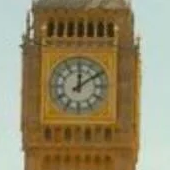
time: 12:09
